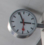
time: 2:56
